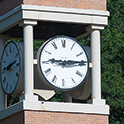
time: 9:14
